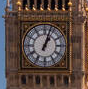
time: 1:03
